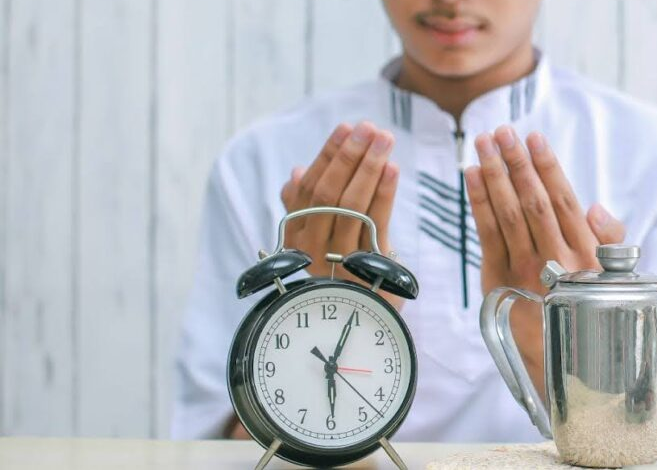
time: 6:04
